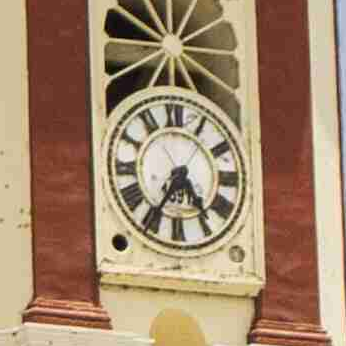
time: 4:35
